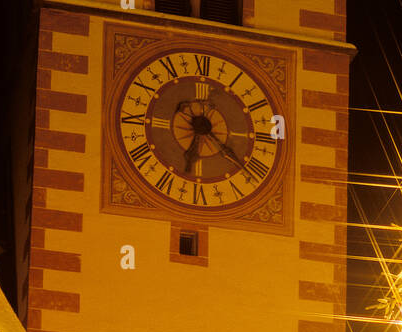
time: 6:21
